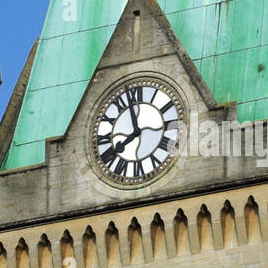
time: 7:57
